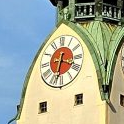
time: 3:32
